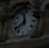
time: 11:38
